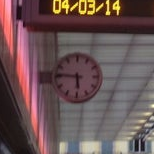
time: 5:46
